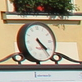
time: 4:23
